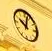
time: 10:02
